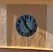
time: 11:23
